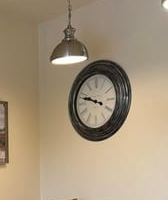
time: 9:47
